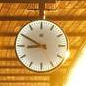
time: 8:50
